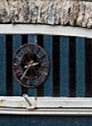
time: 2:36
